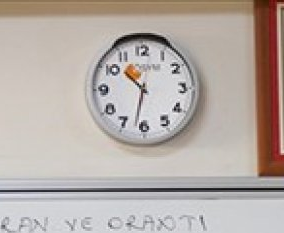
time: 10:32
